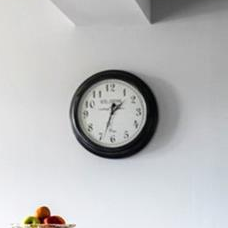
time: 1:33
